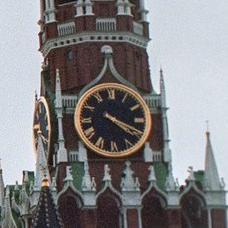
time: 4:19
